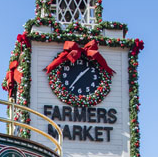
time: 1:36
